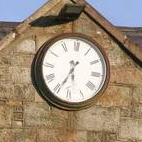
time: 5:34
